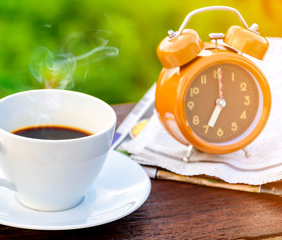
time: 7:00
